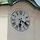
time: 6:18
